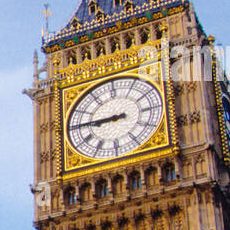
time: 8:45
